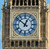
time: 12:51
